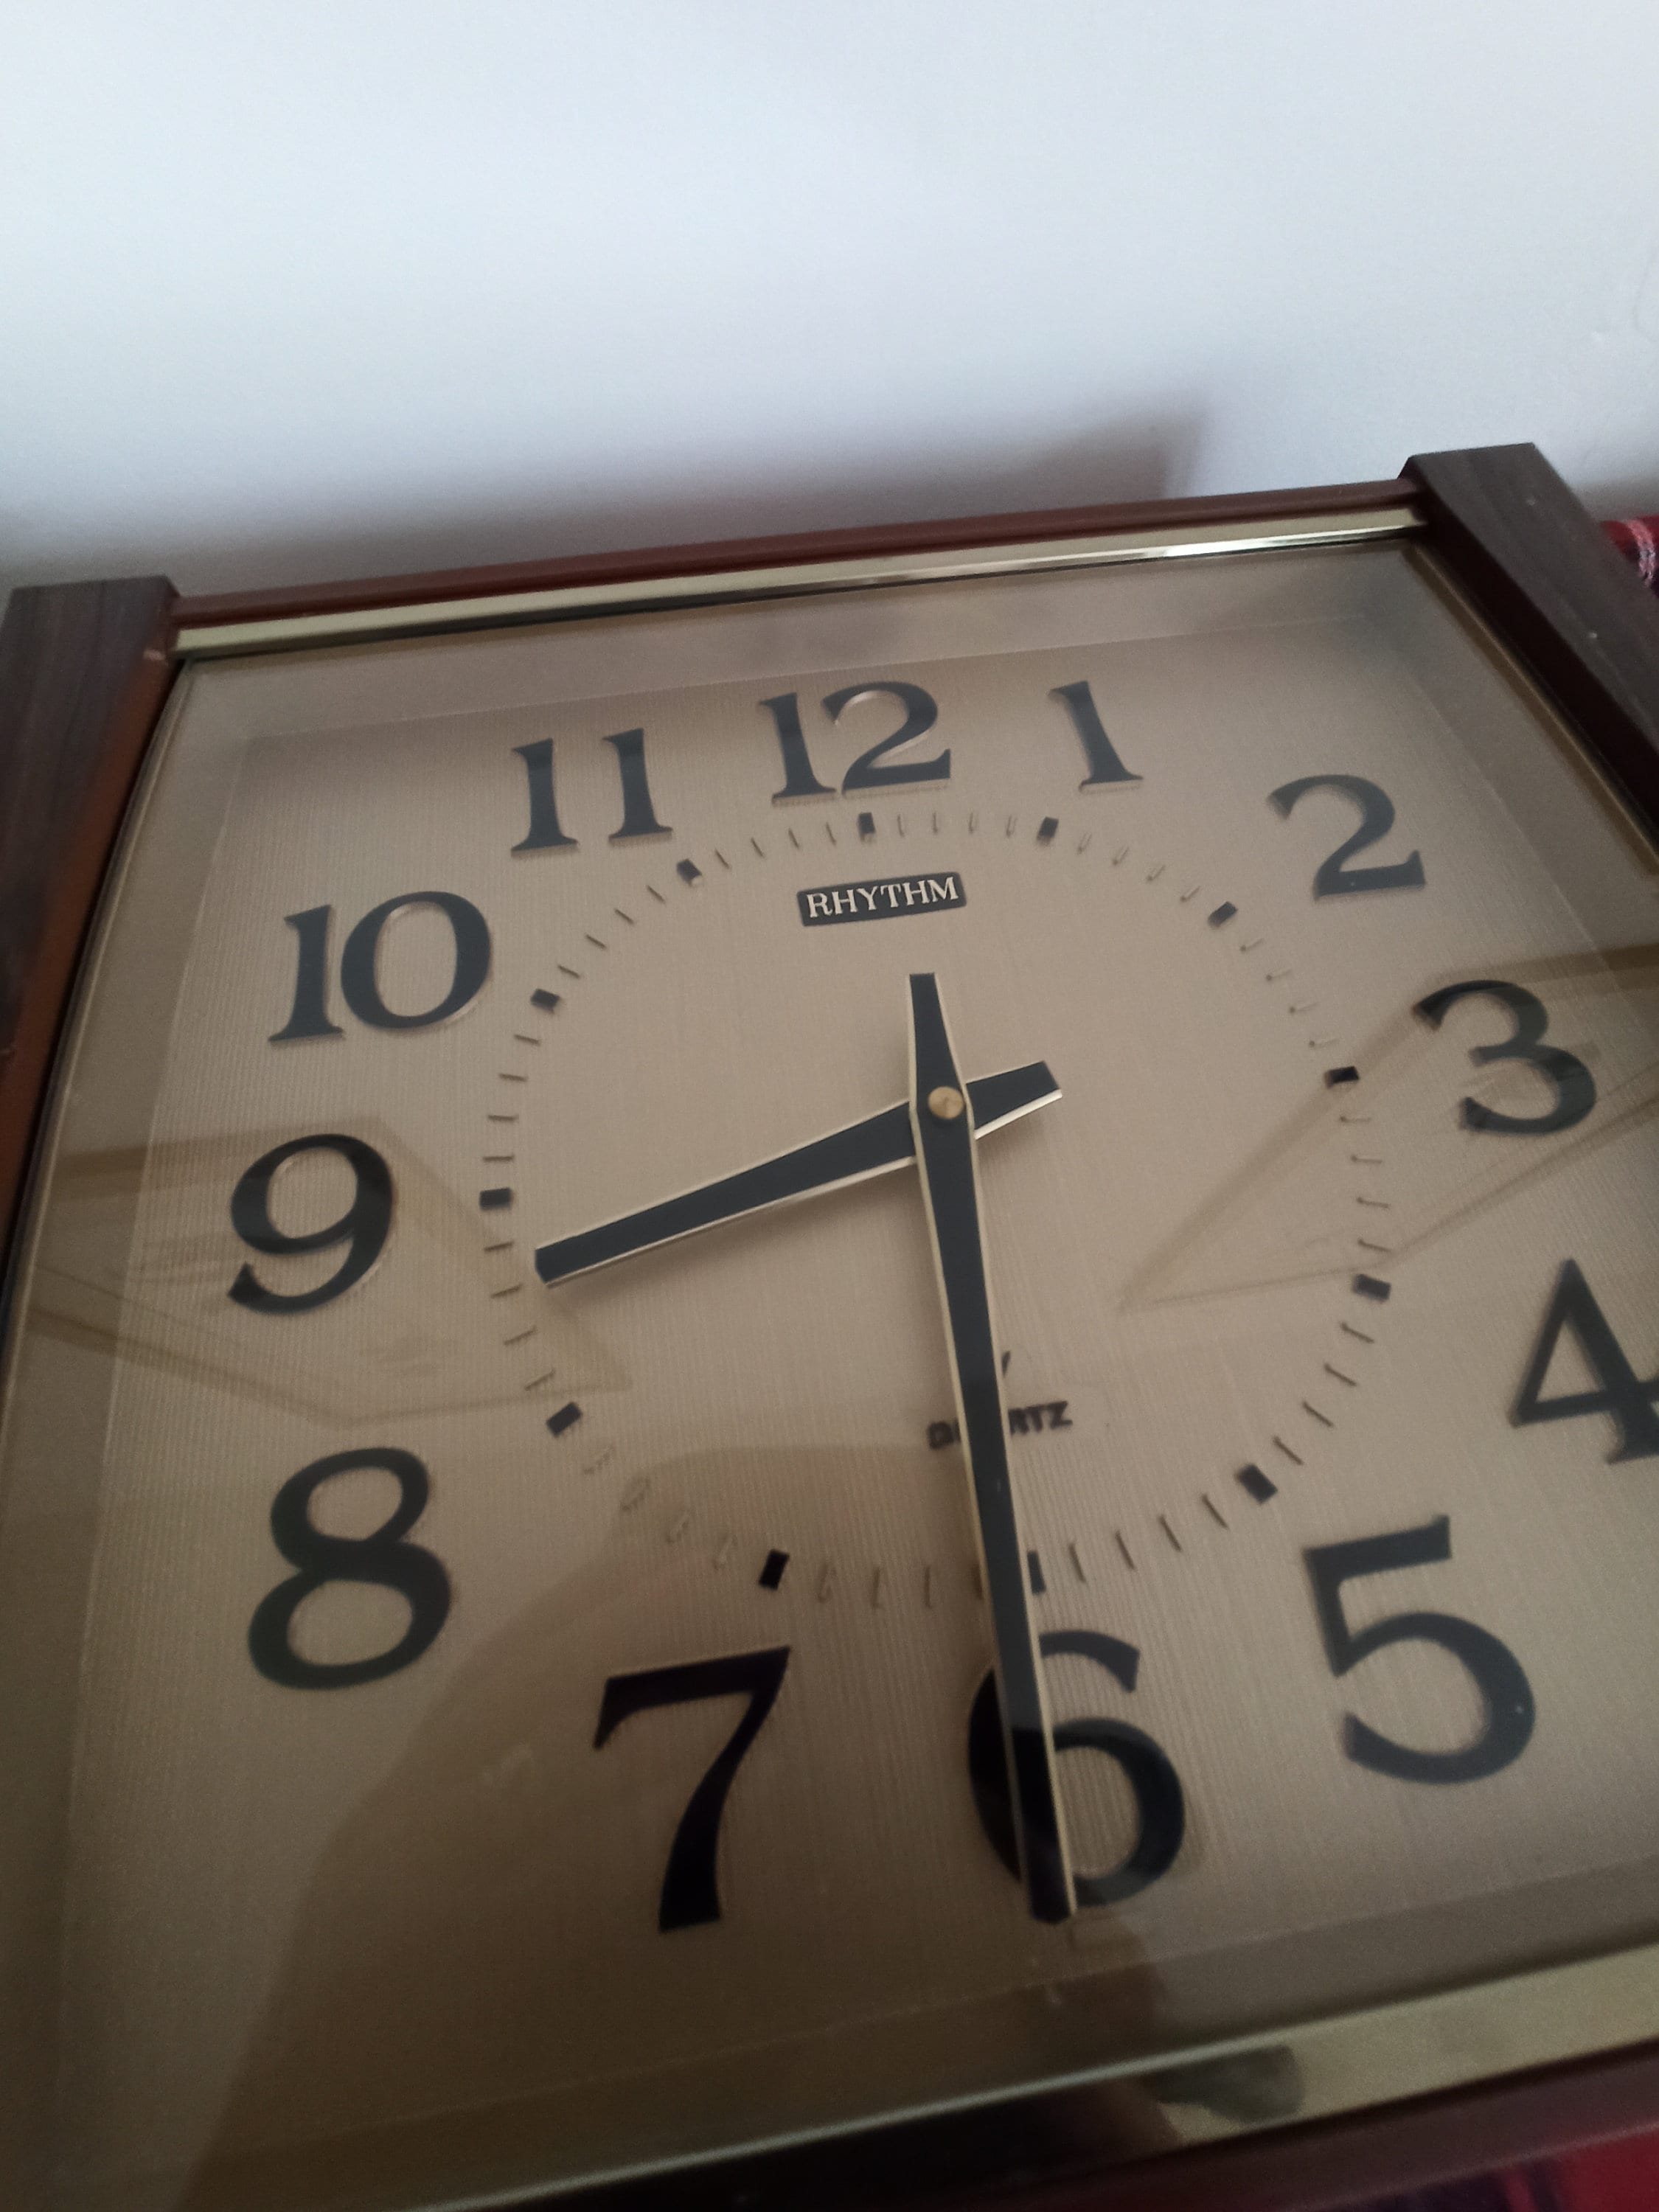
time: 8:30
